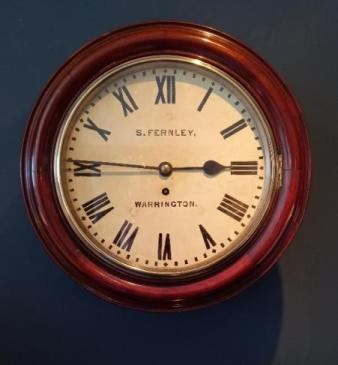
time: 2:45
